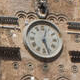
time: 12:26
